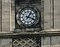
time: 1:18
